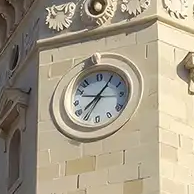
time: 8:05
